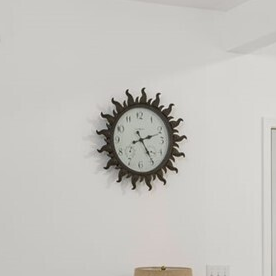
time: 2:24
